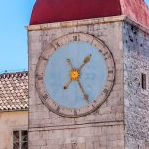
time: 1:25
